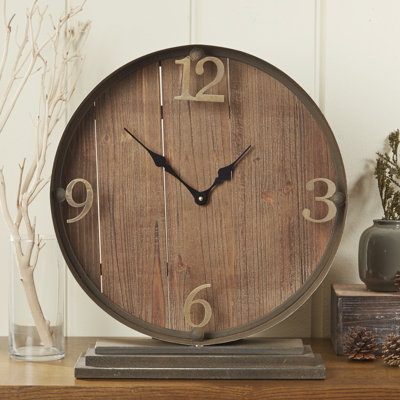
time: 1:51
